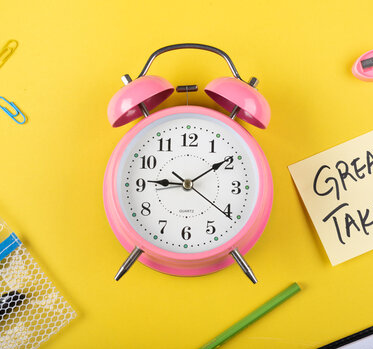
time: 9:09
